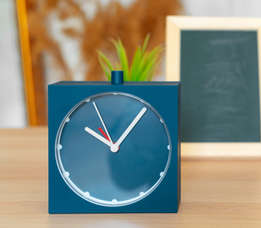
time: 10:06
